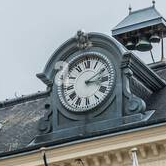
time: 3:10
